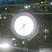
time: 7:28
